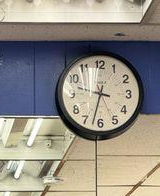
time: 3:32
